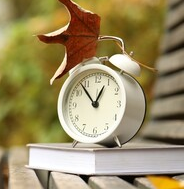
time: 12:53
